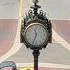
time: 11:33
